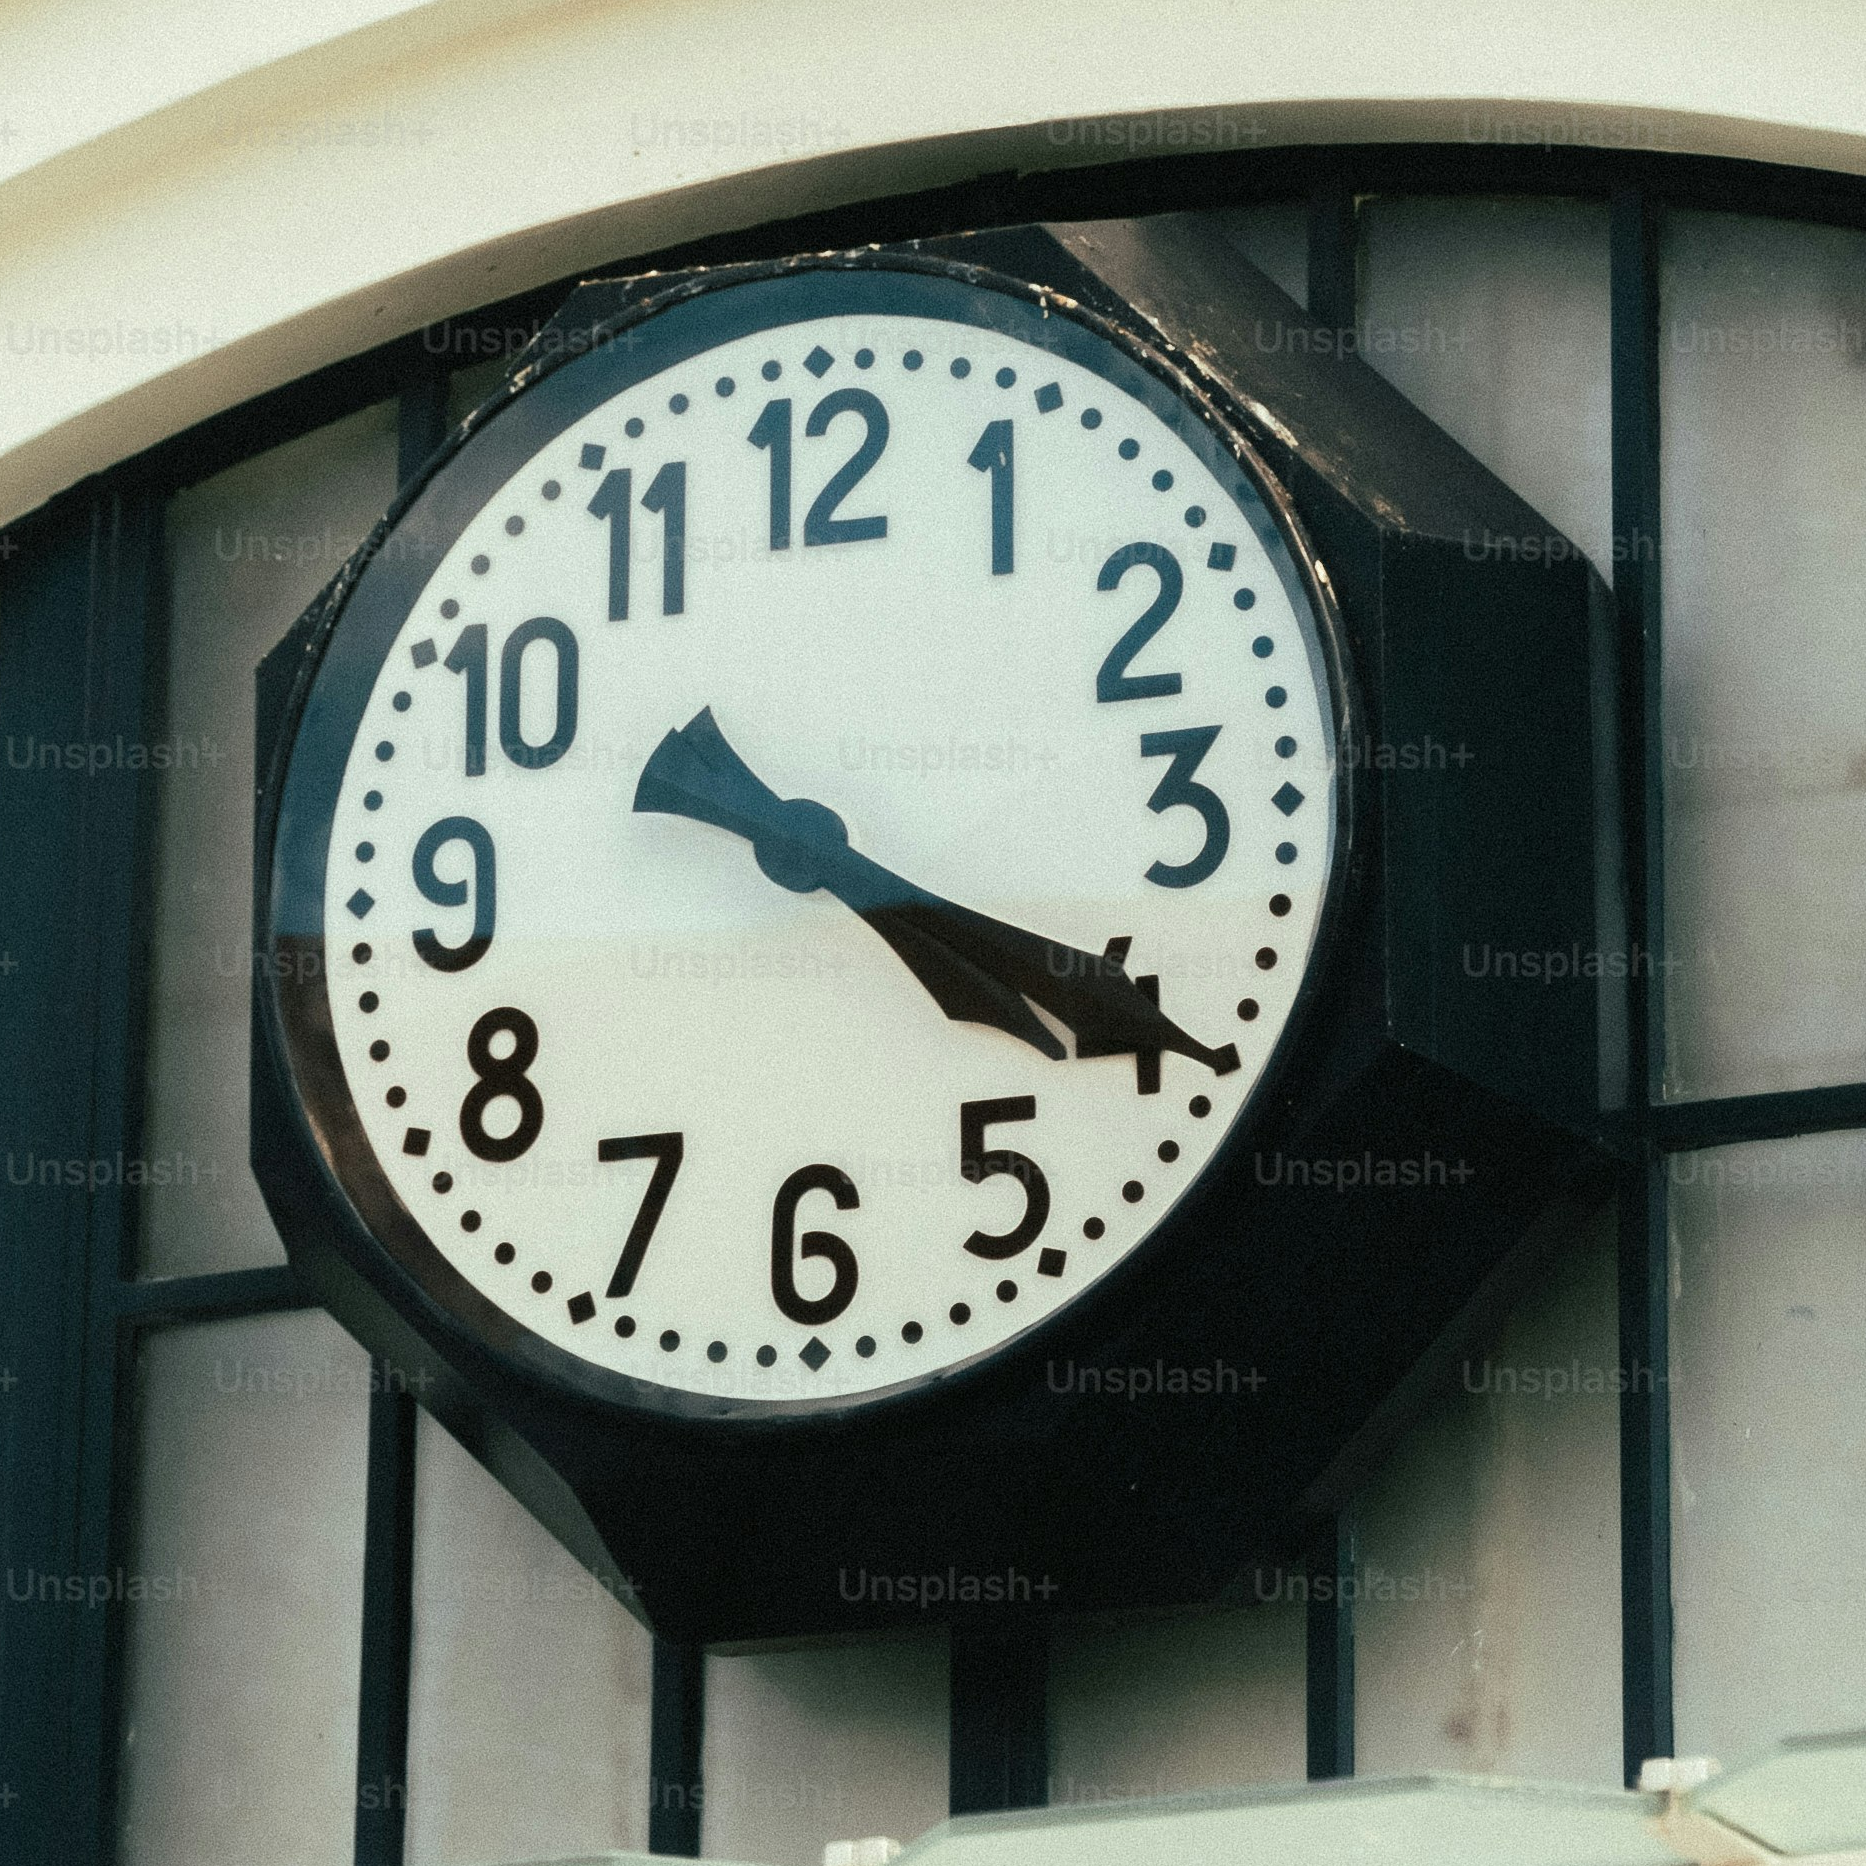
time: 4:19
